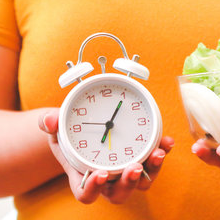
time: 7:05
